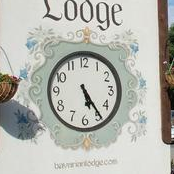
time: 5:24
